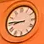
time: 8:46
